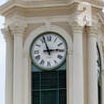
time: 2:56
